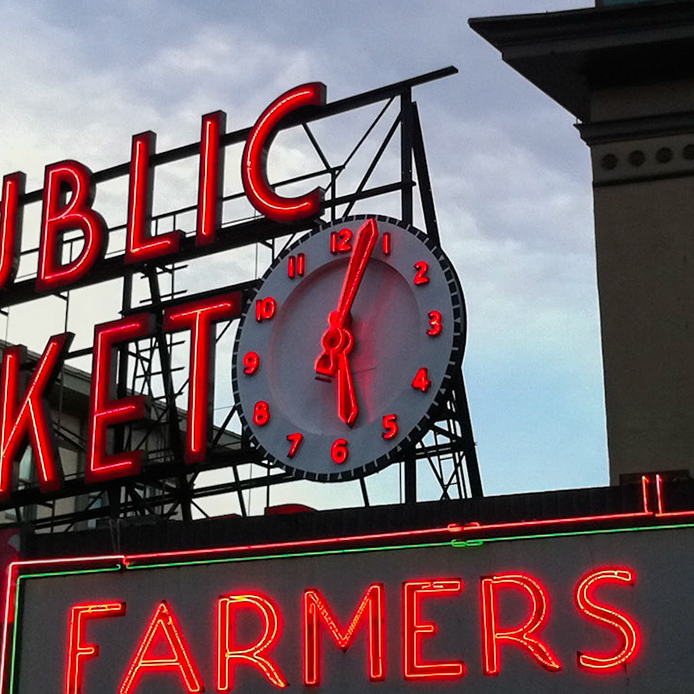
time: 6:03
